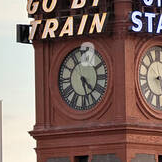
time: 4:27
